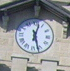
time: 12:27
